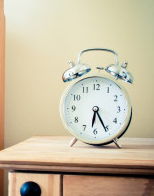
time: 6:25
